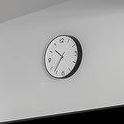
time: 10:36
